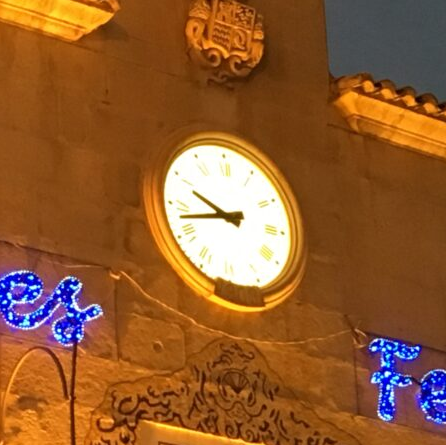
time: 9:42
